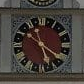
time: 5:20
